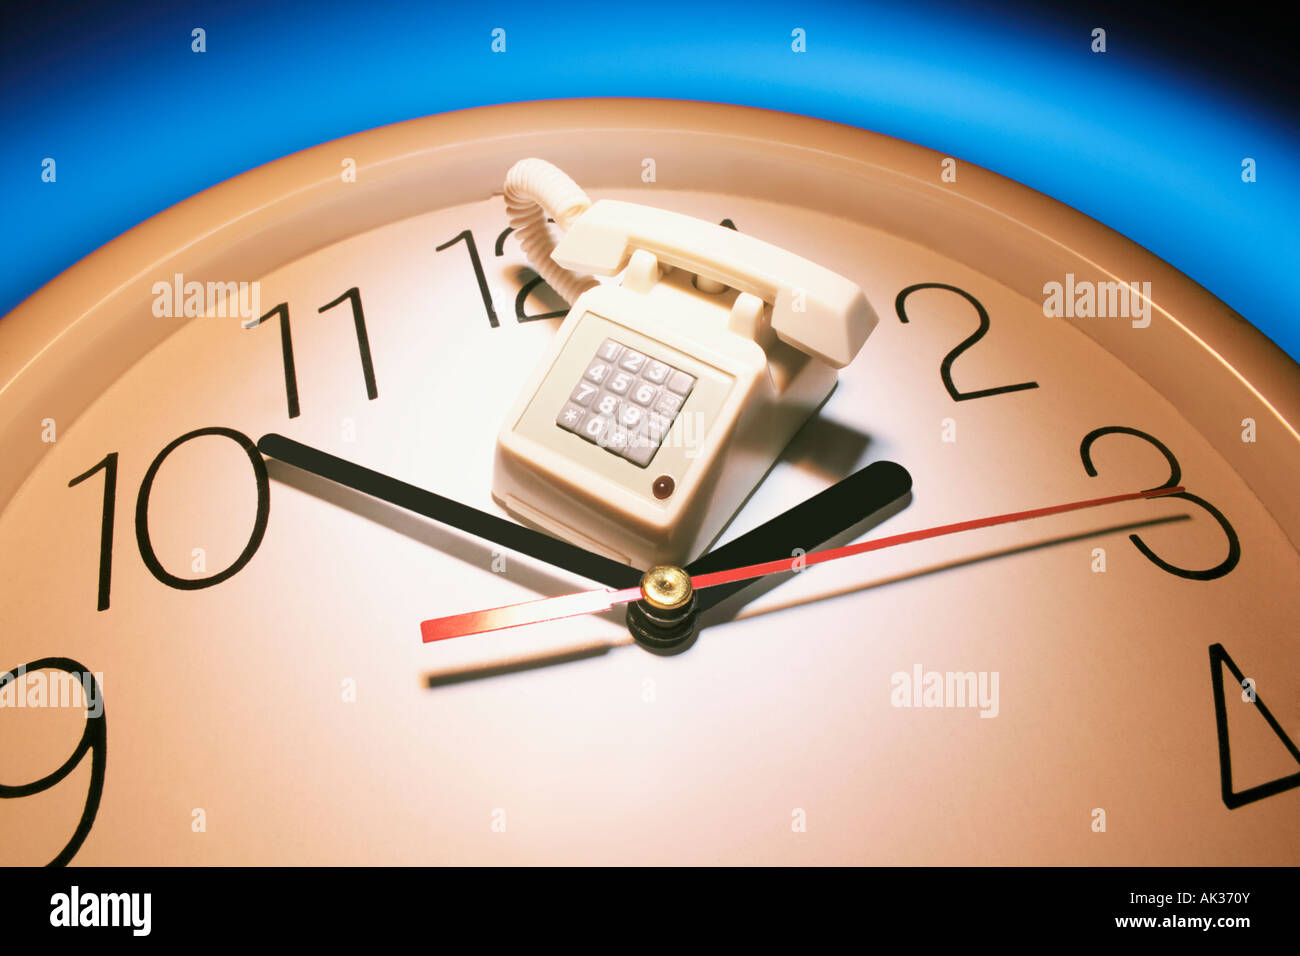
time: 1:51
